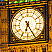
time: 6:25
